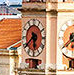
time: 5:38
